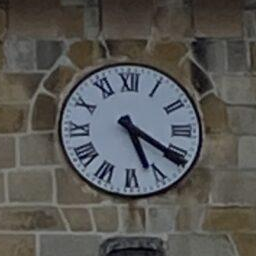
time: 5:20
